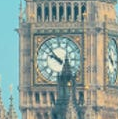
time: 9:52
